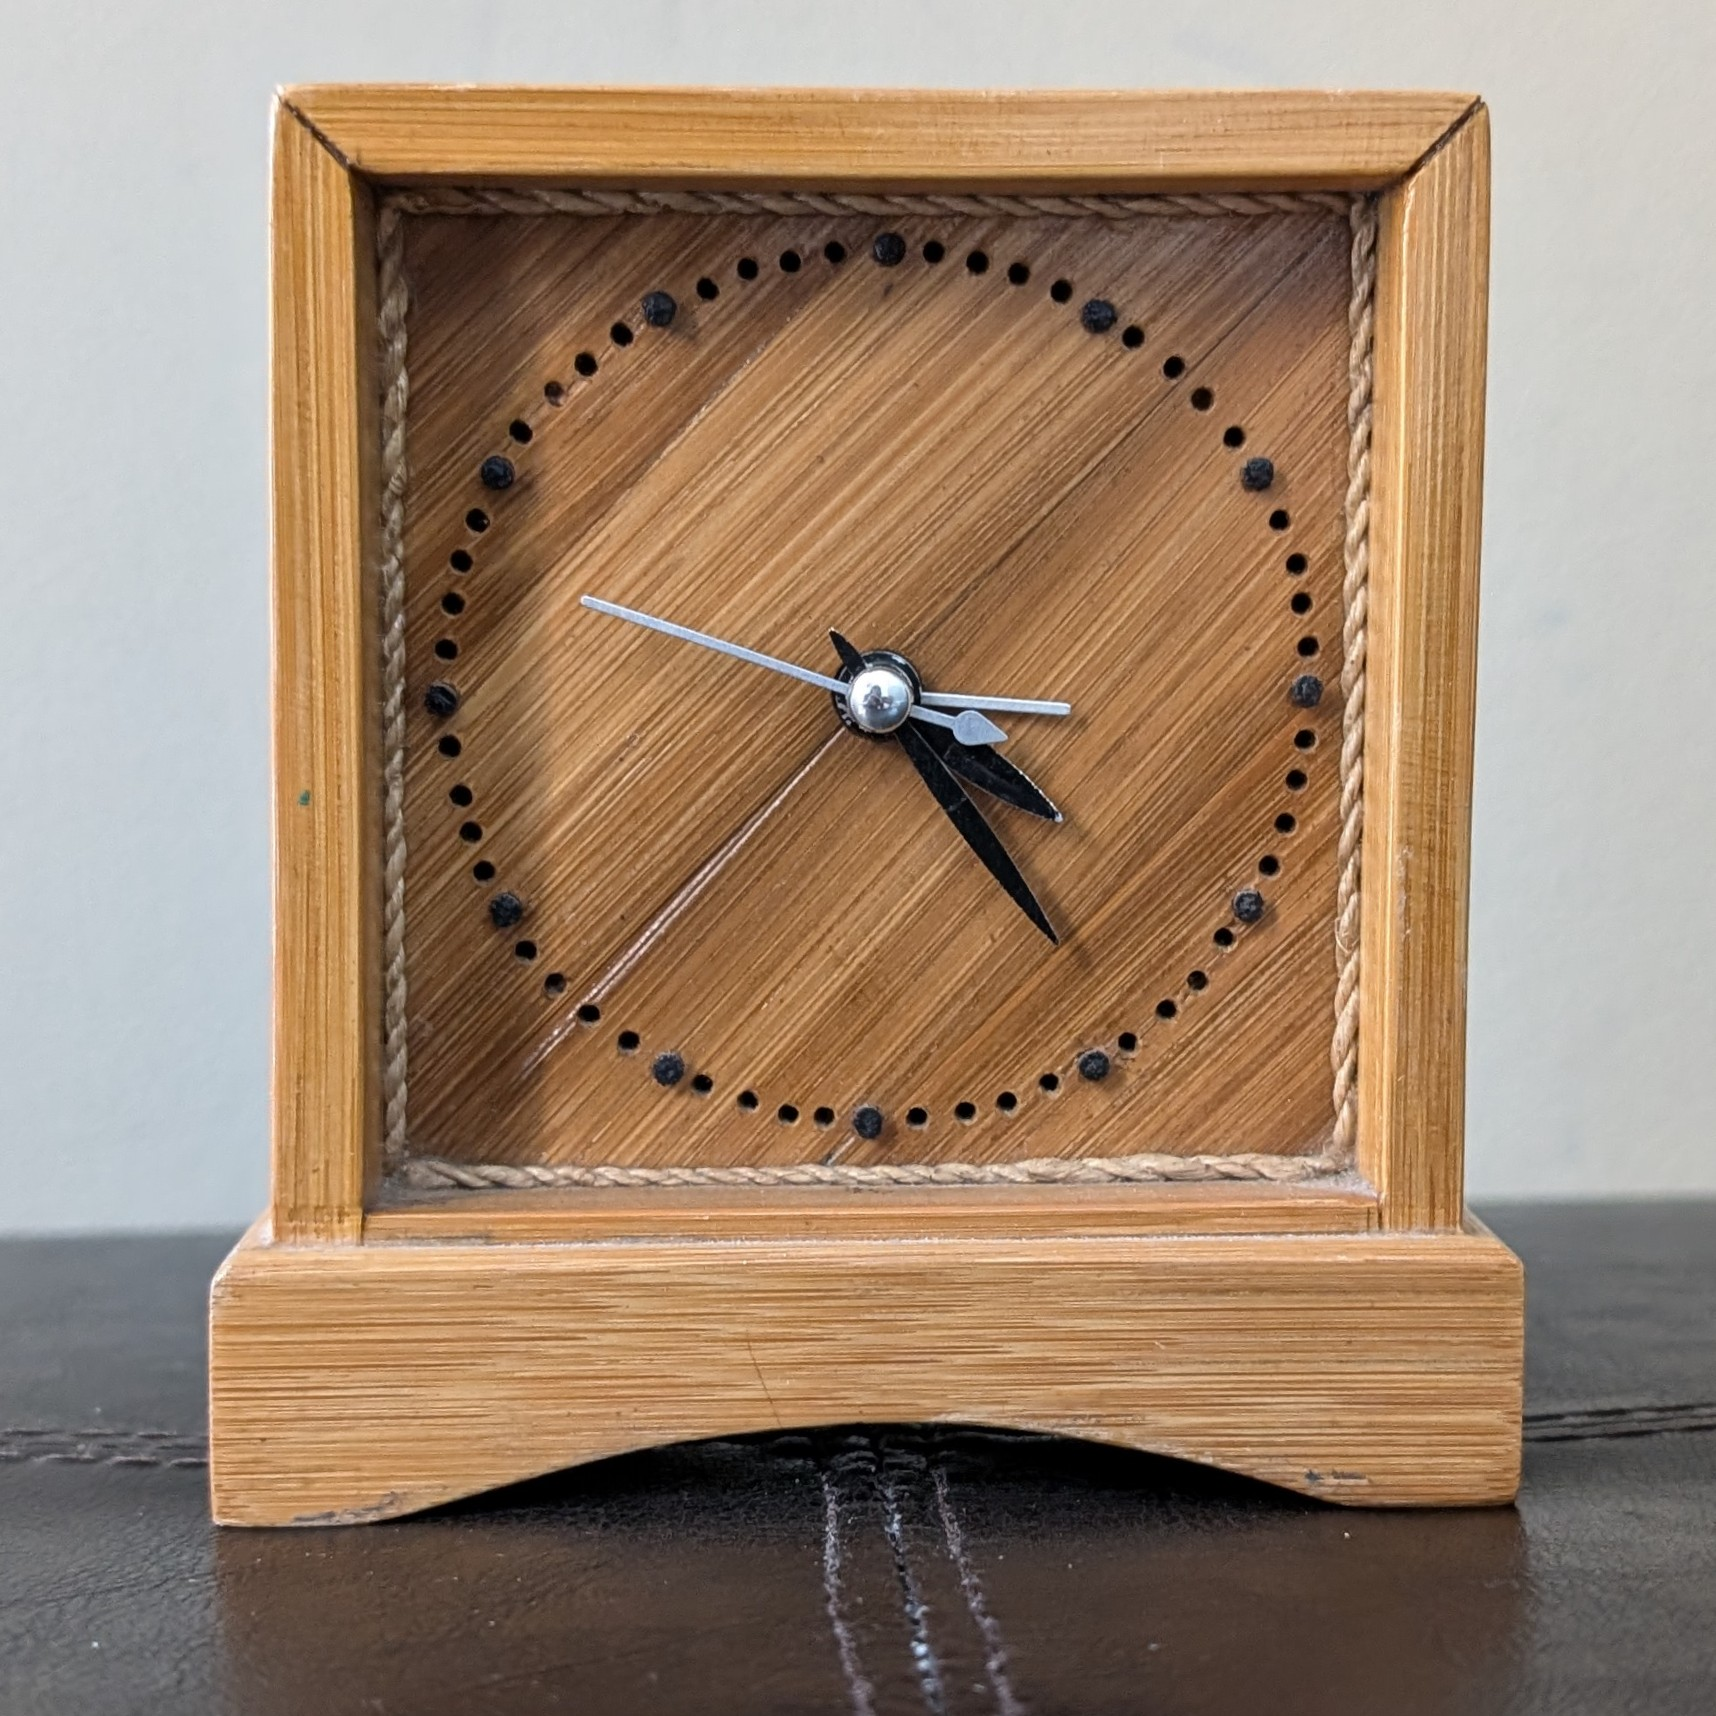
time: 4:23
